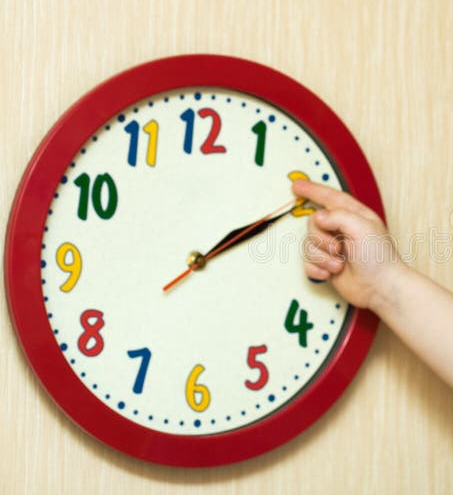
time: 2:11
